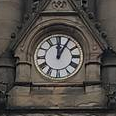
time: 12:05
